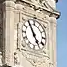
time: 4:54
